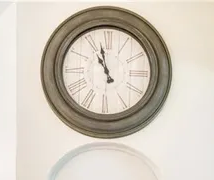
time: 10:57
